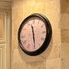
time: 11:28
